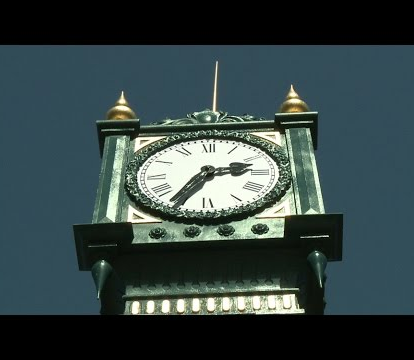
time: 2:35
